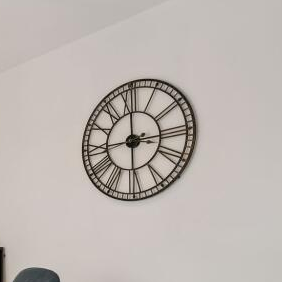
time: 3:00
